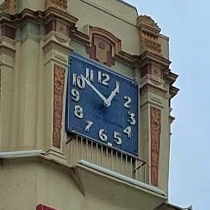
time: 12:52
